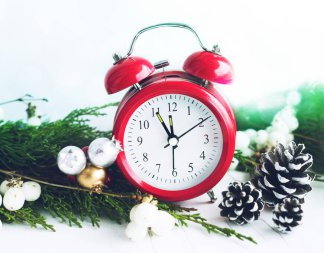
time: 11:09
